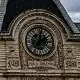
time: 2:02
